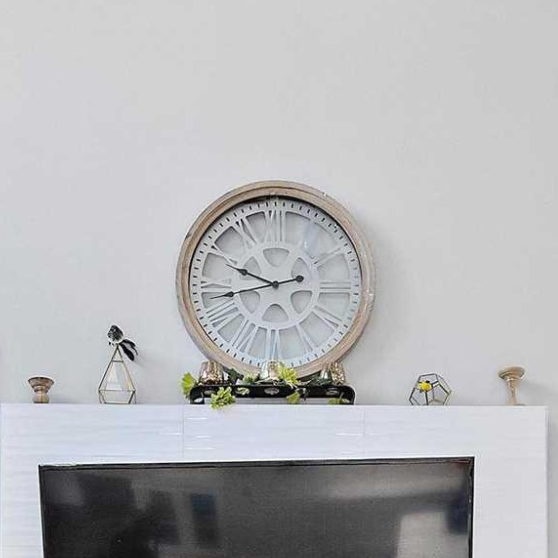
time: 9:42
